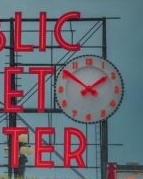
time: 1:50
